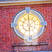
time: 5:59
